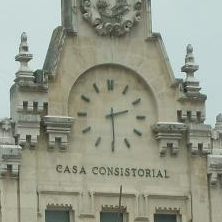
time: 2:29
